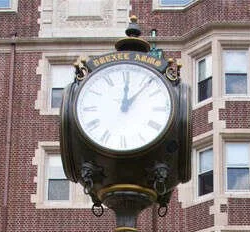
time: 12:06
